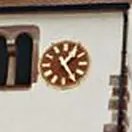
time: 1:24
